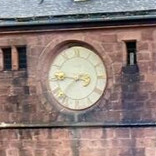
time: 7:46
